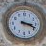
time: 3:18
